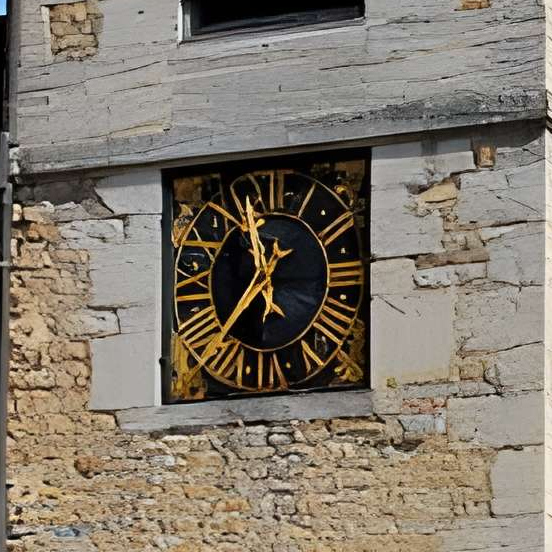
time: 11:36
